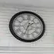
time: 1:33
